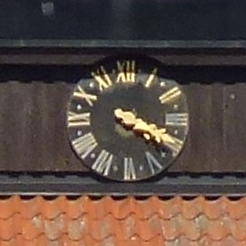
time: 4:19
